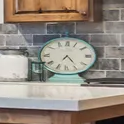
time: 7:24
